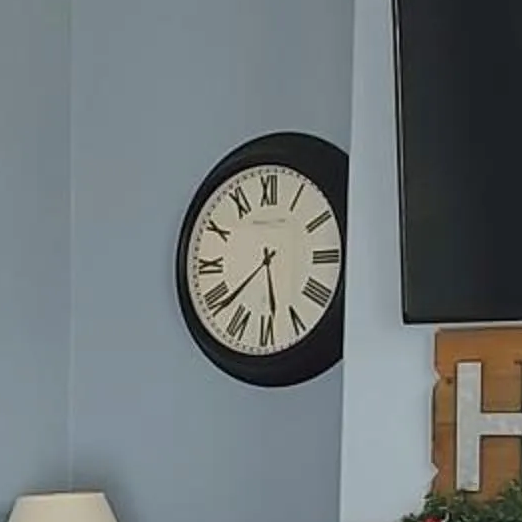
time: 5:38
